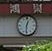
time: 12:30
